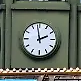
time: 1:58
